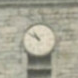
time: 10:51
